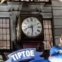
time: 8:29
